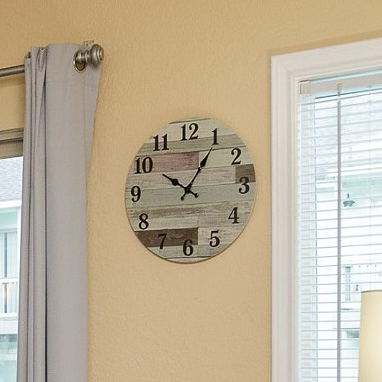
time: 10:05
